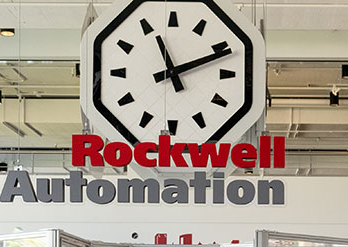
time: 11:11
